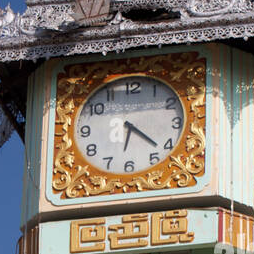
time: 6:21
